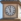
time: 5:59
